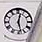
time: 12:27
